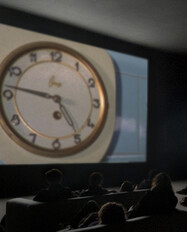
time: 4:46
